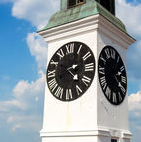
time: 2:22
